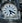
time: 5:18
